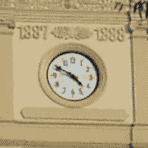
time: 4:49
